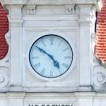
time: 4:50
